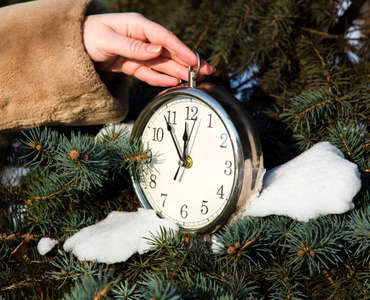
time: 11:54
